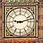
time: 9:12
